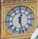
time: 12:27
